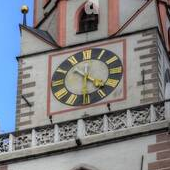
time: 10:22
